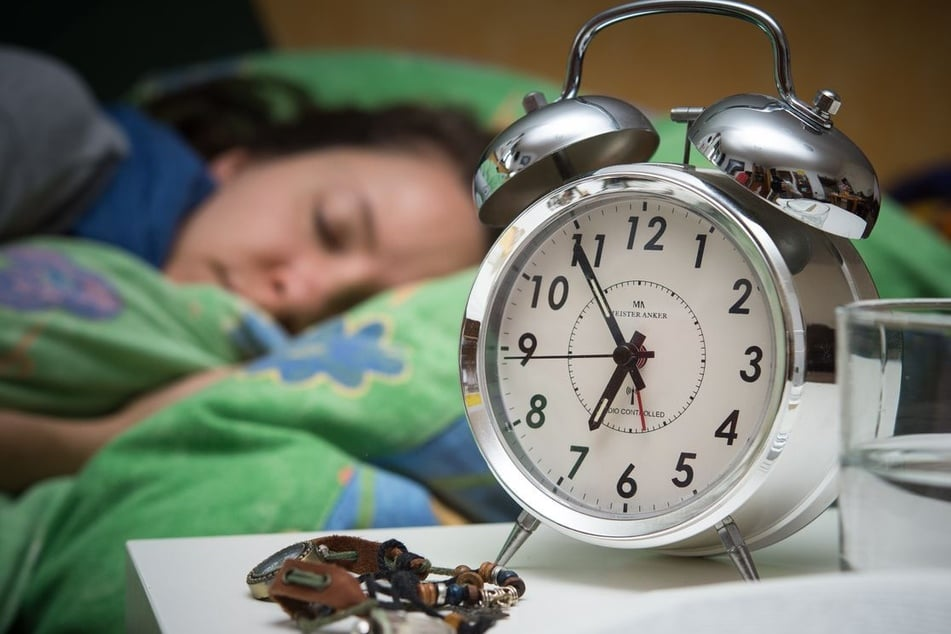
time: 6:54
